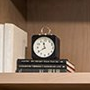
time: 11:39
